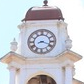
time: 8:18
